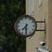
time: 7:30
